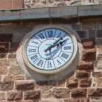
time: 2:07
